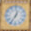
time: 12:35
